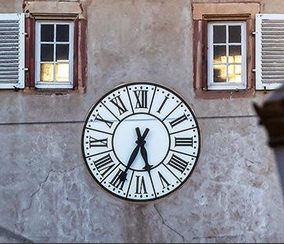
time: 5:34
